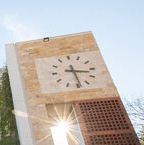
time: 3:28
